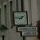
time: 1:46
